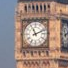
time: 11:11
